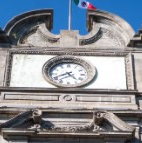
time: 4:40
